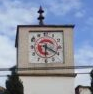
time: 6:19
